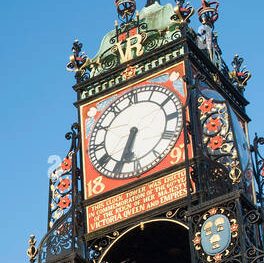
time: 6:34
